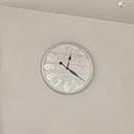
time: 12:20
